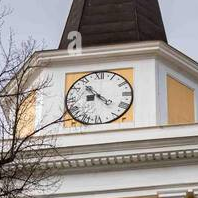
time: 8:53
